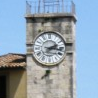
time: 2:16
